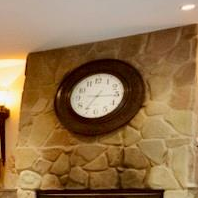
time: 7:15
